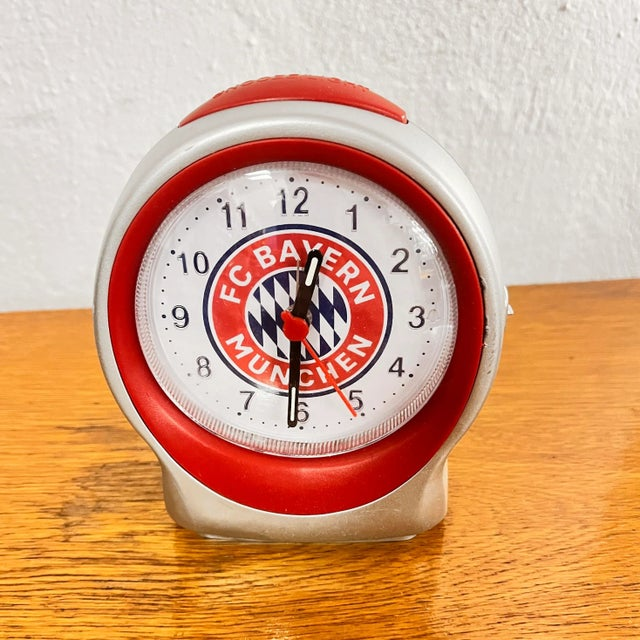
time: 12:30
